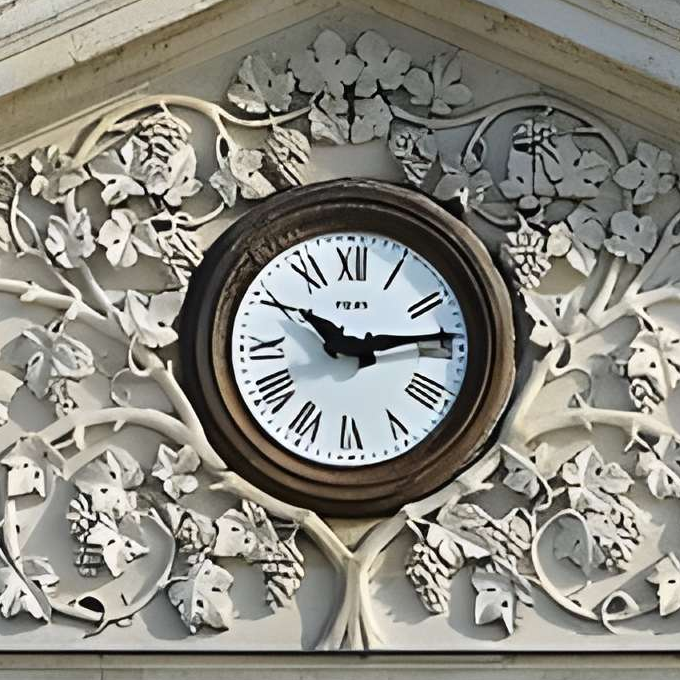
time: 10:13
